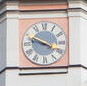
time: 3:48
